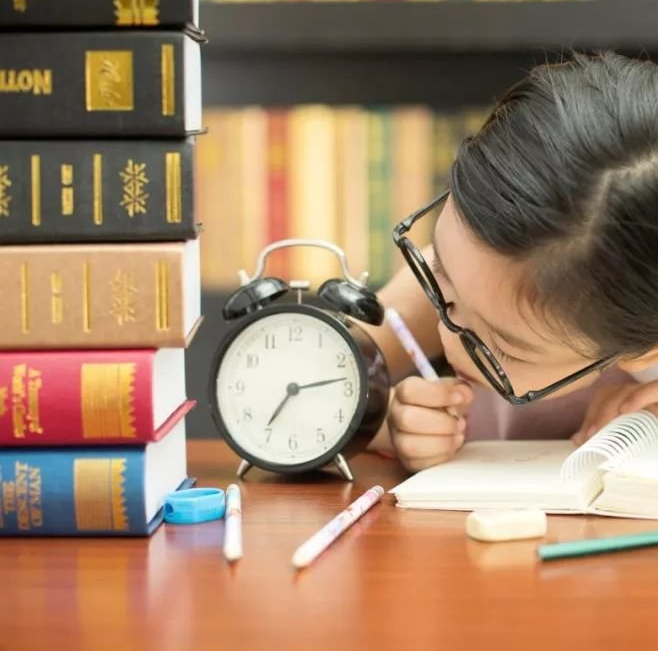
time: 7:13
